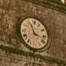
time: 11:17
